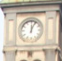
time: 12:04
